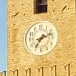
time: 7:12
